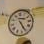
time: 2:25
